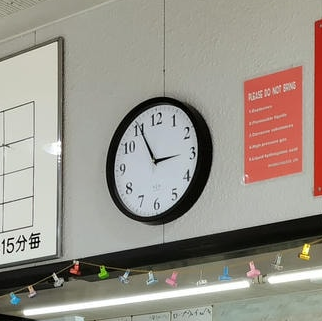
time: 2:55
